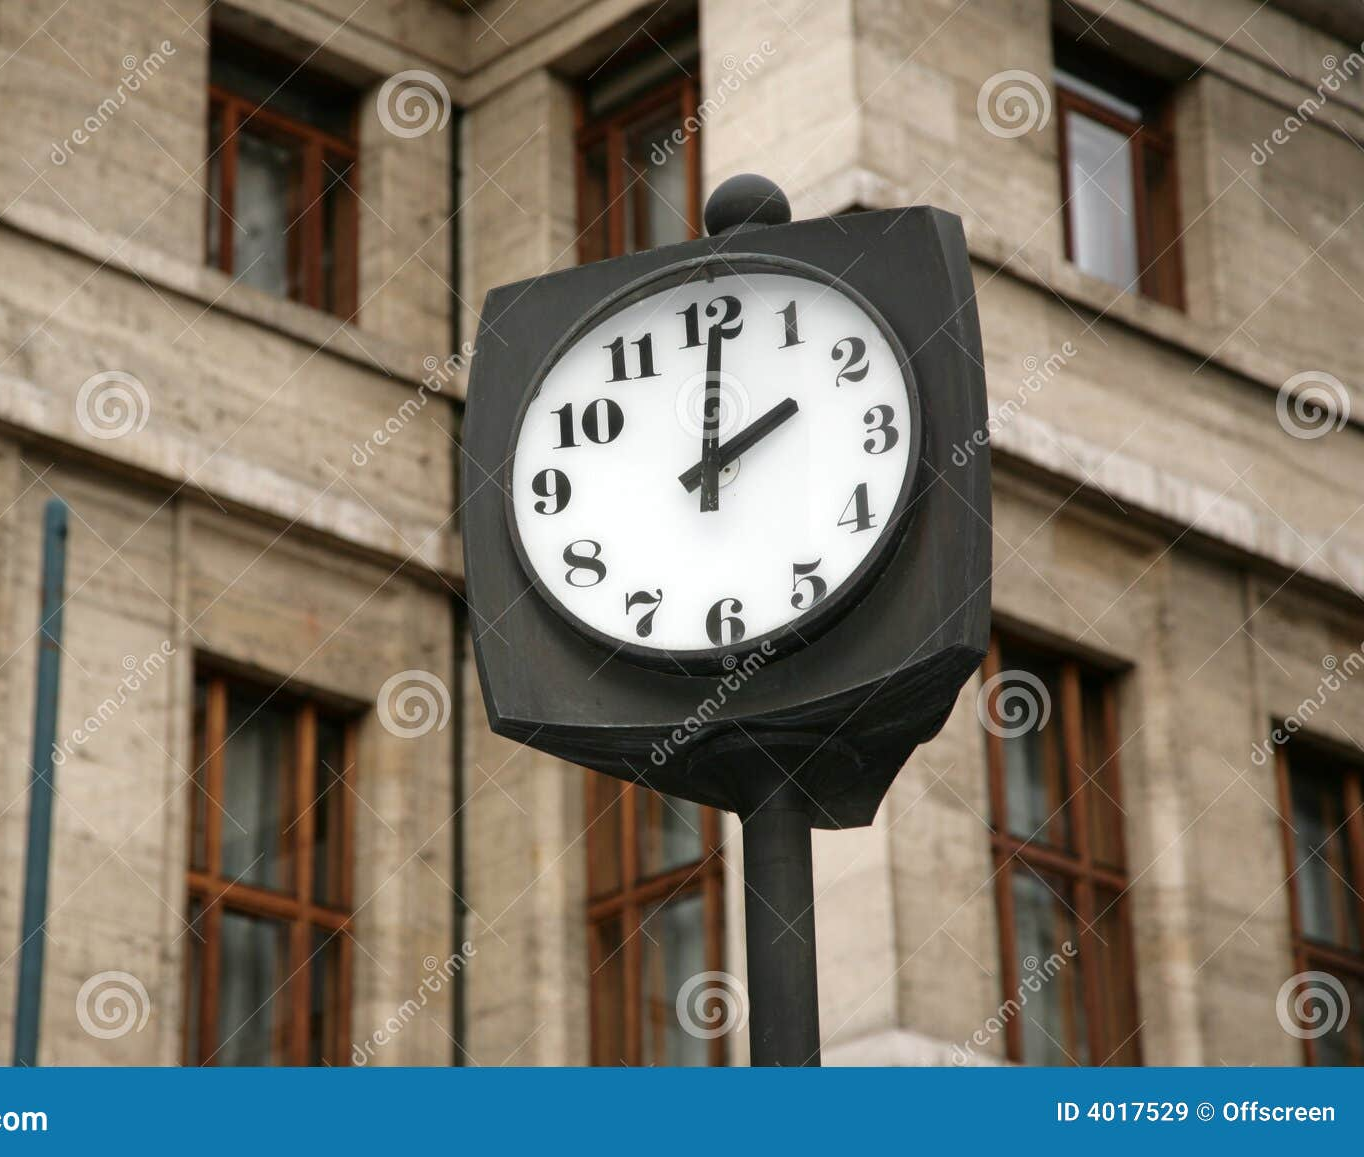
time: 2:00
